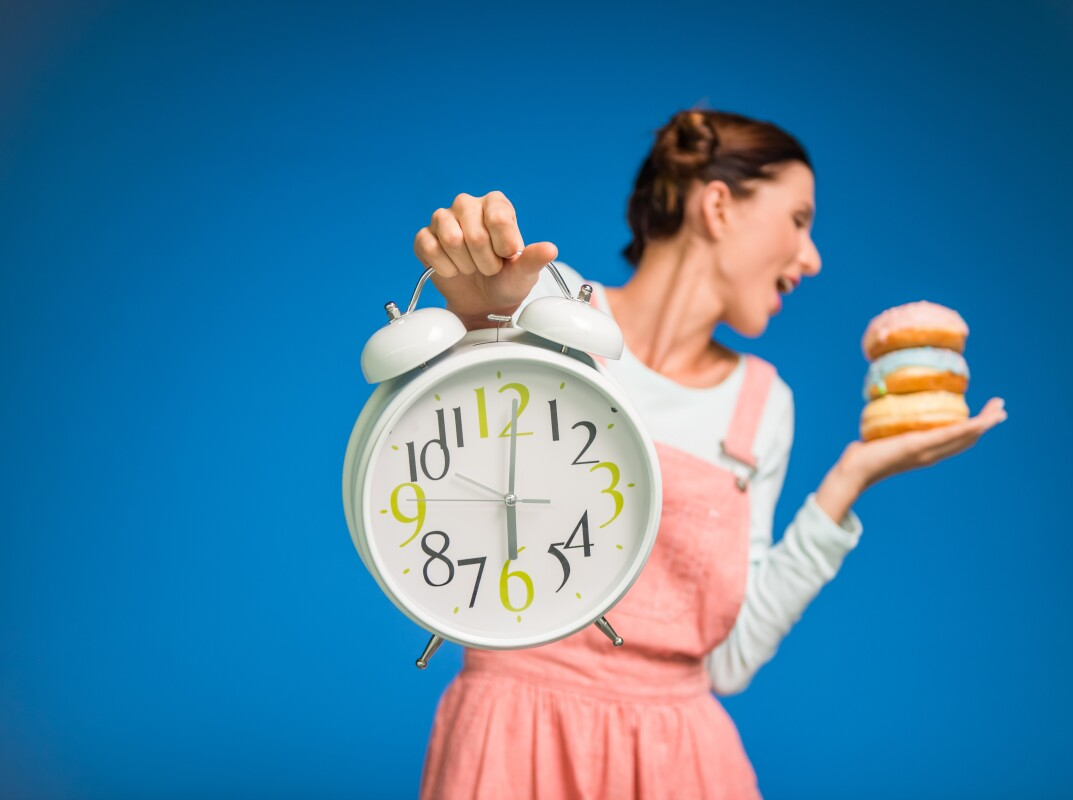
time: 6:01
